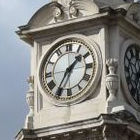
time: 1:35
